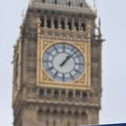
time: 1:07
